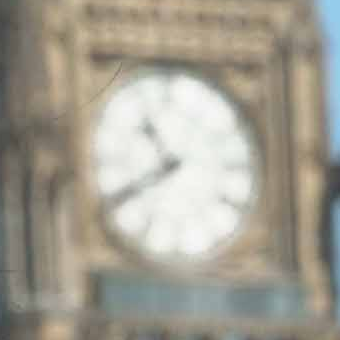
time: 10:40
